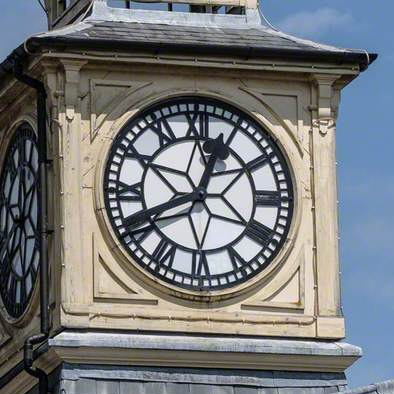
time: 12:41
